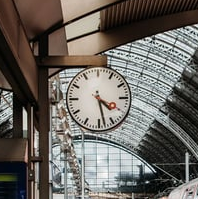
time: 4:28
